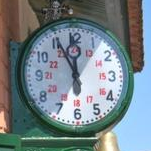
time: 11:55
